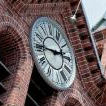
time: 2:46
